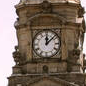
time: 12:07
